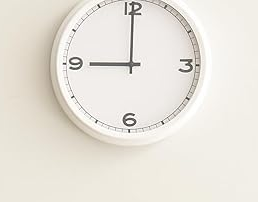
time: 8:59
